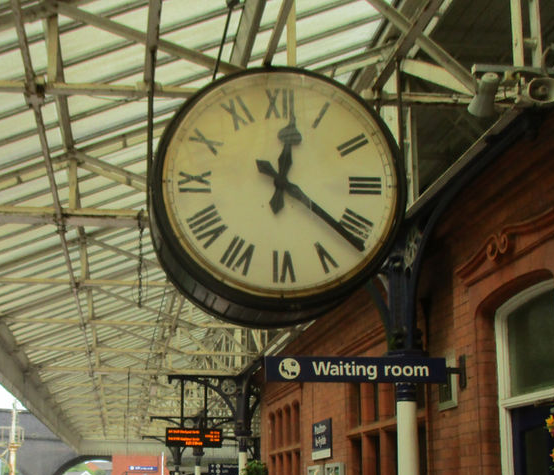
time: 12:21
